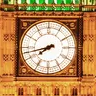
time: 7:42
